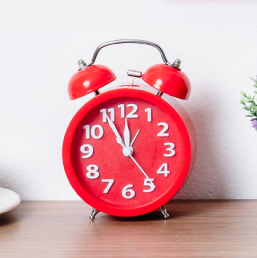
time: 11:54
